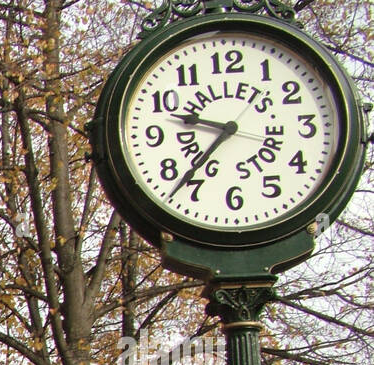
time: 9:37
